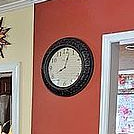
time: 8:02
